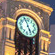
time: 4:56
